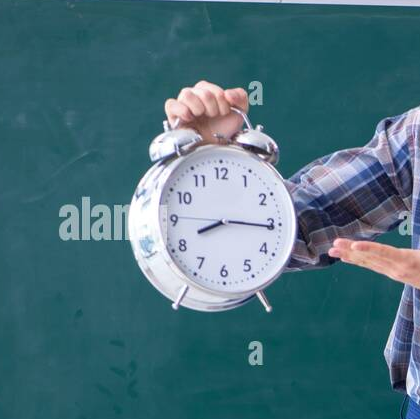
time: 8:15
